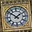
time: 1:51
